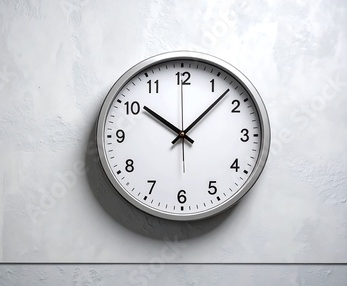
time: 10:07
